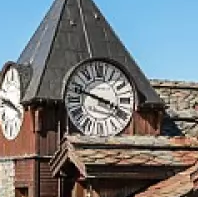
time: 3:48
